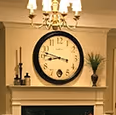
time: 8:47
